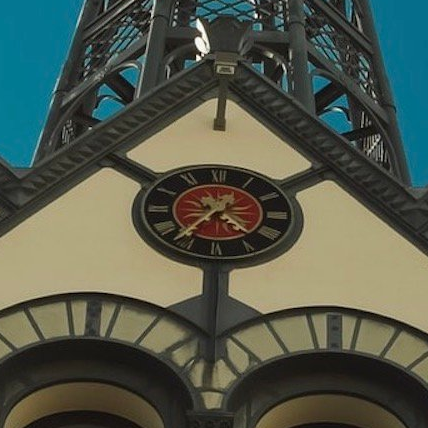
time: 4:36
